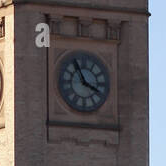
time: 3:55
